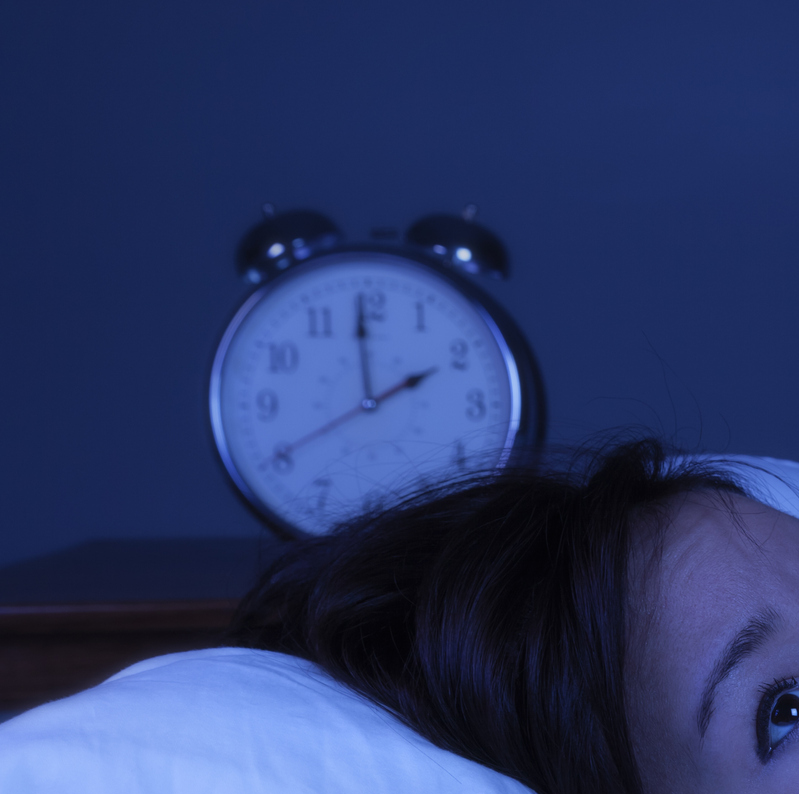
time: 1:59
